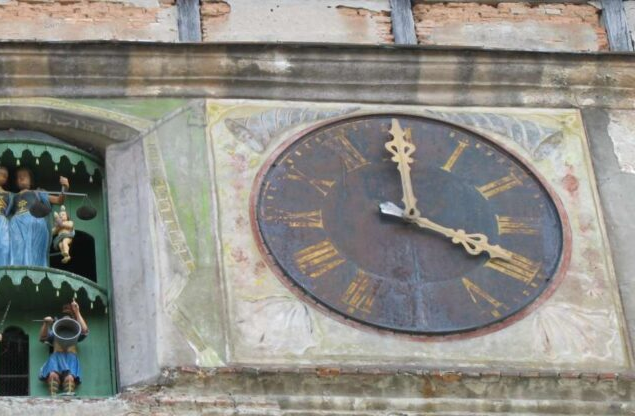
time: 3:59
